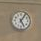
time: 5:05
